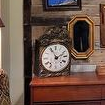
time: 1:56
